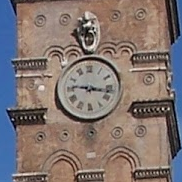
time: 9:16
